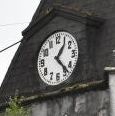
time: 1:22
